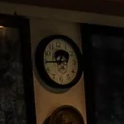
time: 12:44
